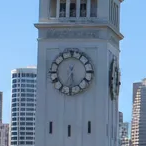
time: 5:33
